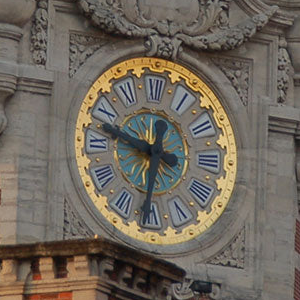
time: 12:31
